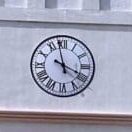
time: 3:58
